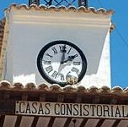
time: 2:01
